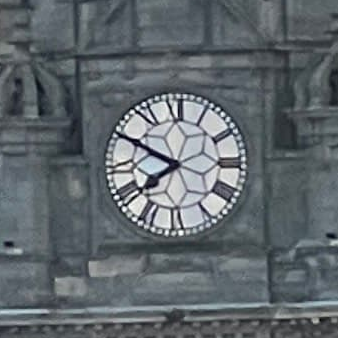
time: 7:49
